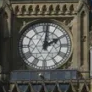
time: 2:01
